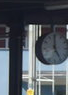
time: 4:59
